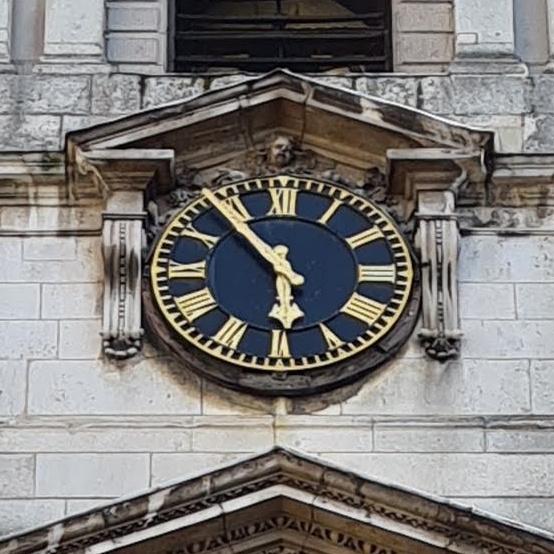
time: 5:53
